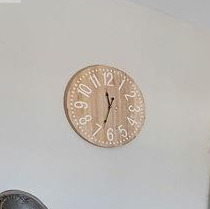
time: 11:33
